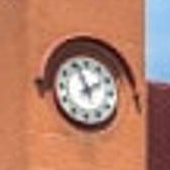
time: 1:56
